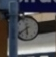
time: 5:38
